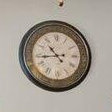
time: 10:43
